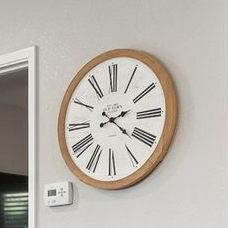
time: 2:21
